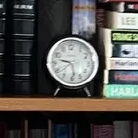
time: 9:28
